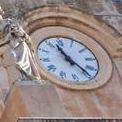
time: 11:23
